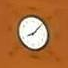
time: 8:07
